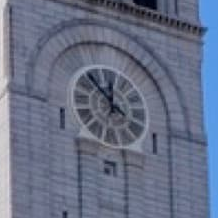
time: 11:52
